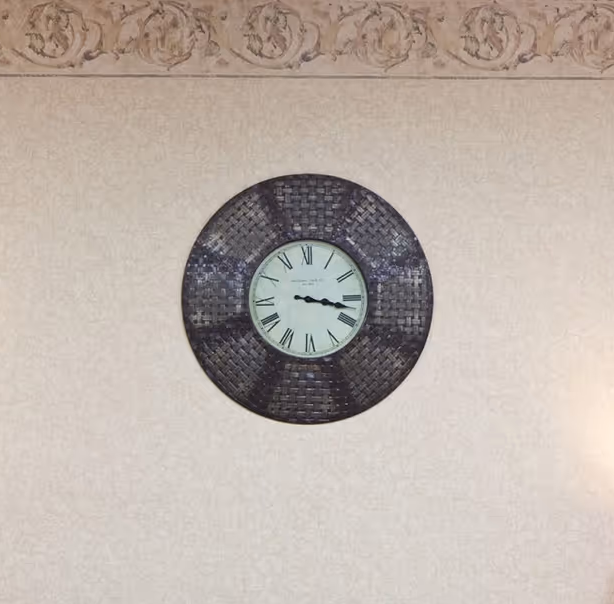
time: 3:17
